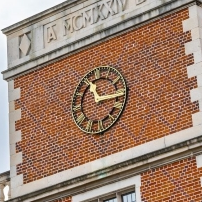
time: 11:14
